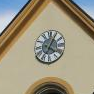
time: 4:04
